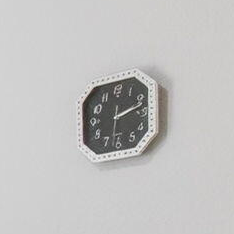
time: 2:12
